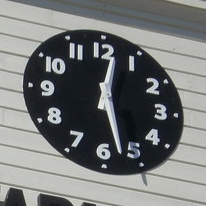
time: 12:27
